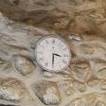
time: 3:30
